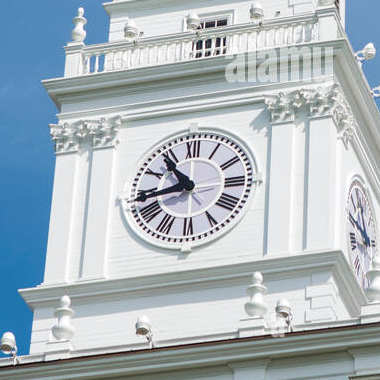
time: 10:43
